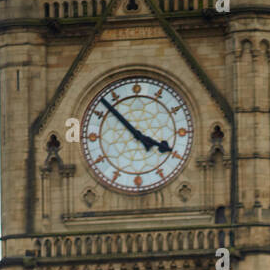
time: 3:52
